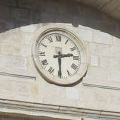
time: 2:29
